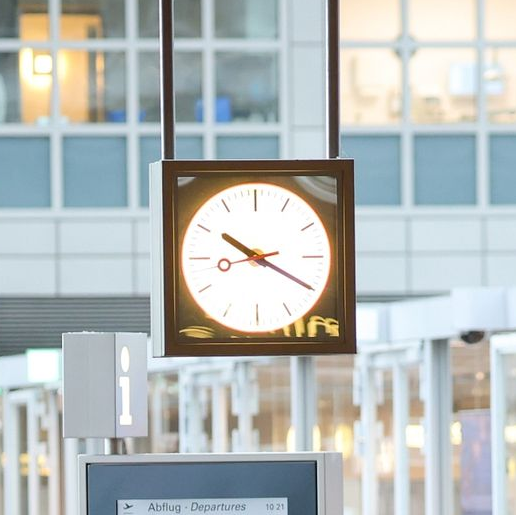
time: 10:19
